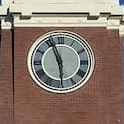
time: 5:56
